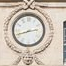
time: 2:42
